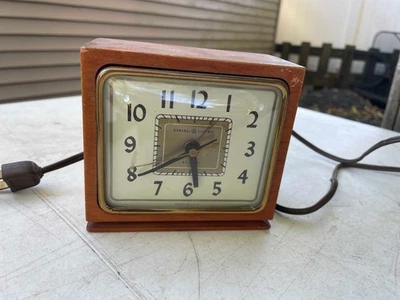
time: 5:38
